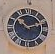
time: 10:11
